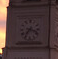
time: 7:17
